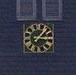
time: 1:16
